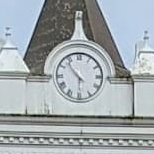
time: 5:53
